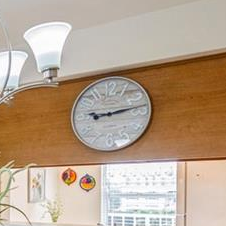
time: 9:13
